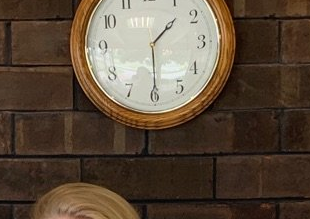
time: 1:29
